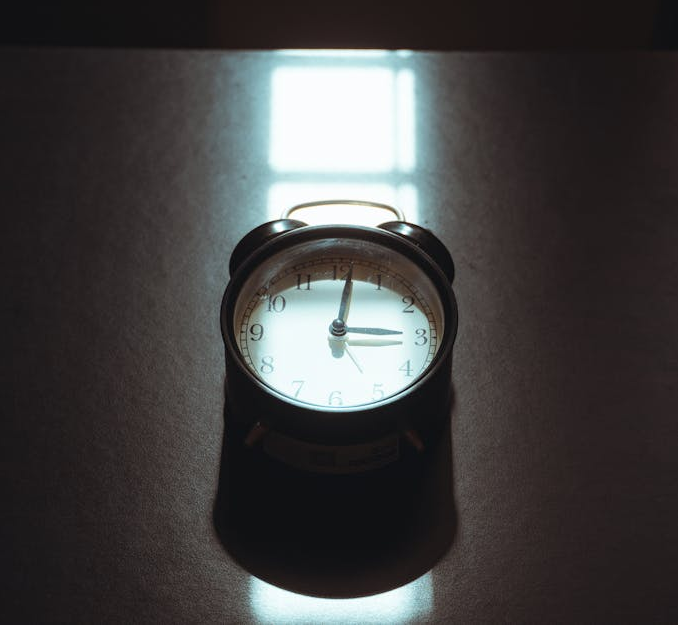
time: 3:01
